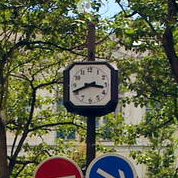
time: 8:16
